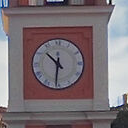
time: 10:31
